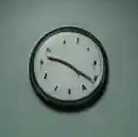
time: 9:21
